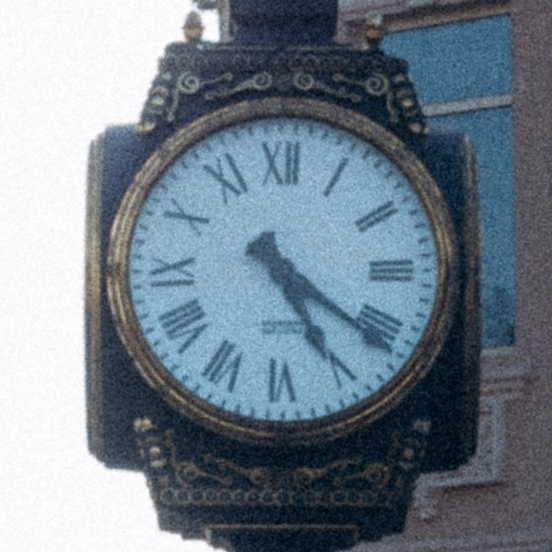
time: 5:21
